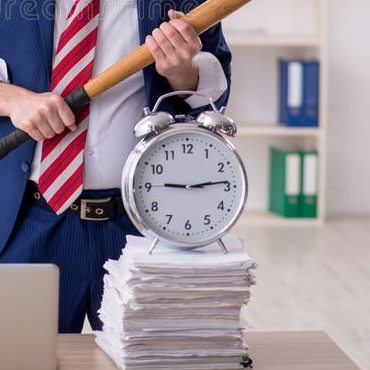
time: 9:13
